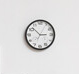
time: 2:52
